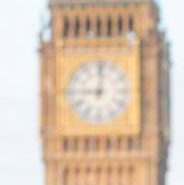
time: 9:01
